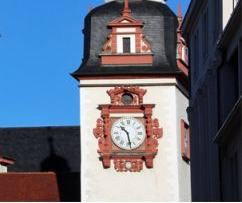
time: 10:28
